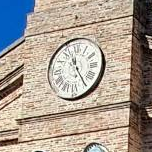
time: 11:24
